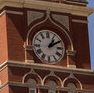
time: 1:09
